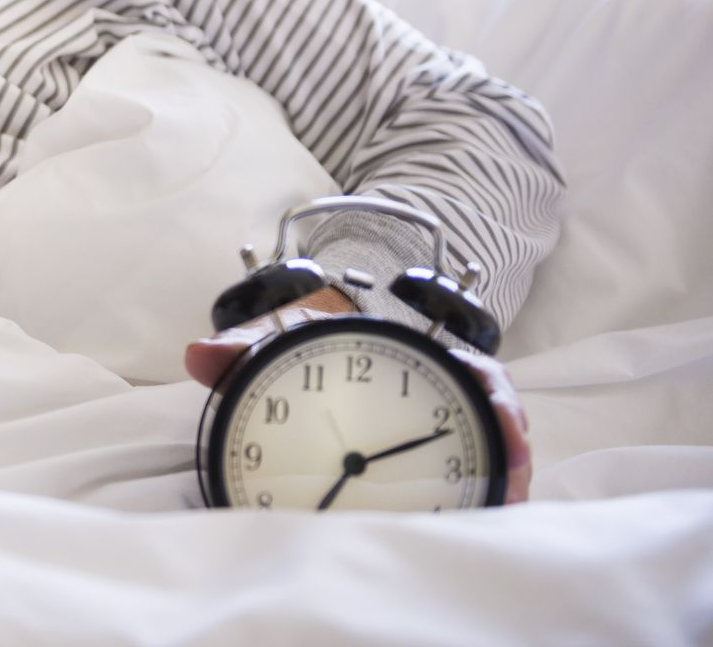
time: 7:11
